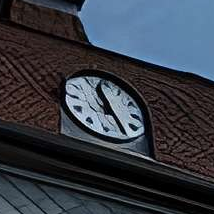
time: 11:24
